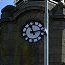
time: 11:12
